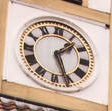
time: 1:26
